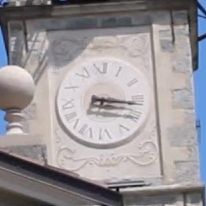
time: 3:16
